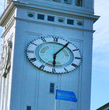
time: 6:06
